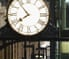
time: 7:53
